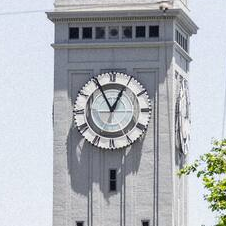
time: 12:55
